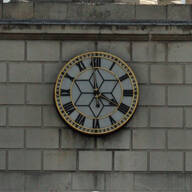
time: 3:58
